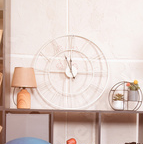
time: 11:45
